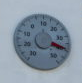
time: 4:20
